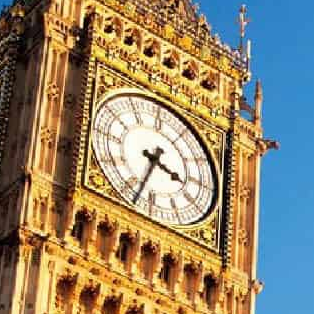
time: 3:33
